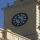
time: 10:26
